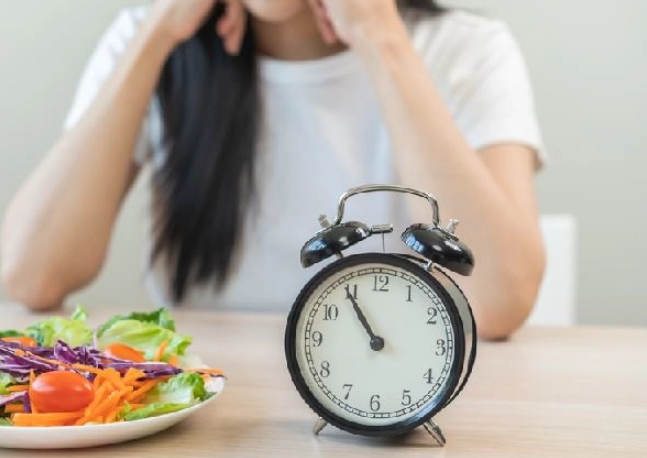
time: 10:54
